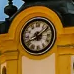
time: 8:08
